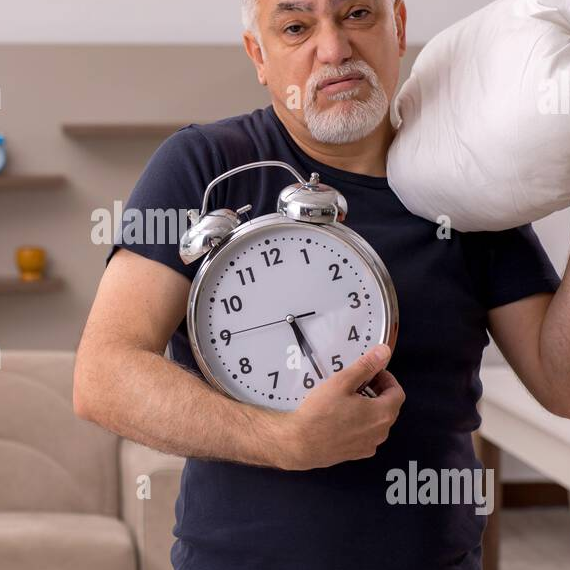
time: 5:28
